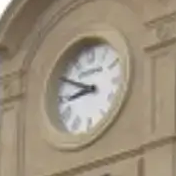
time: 8:50
